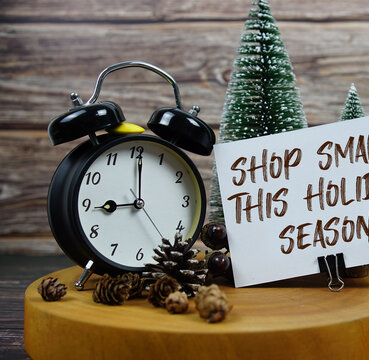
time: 9:01
